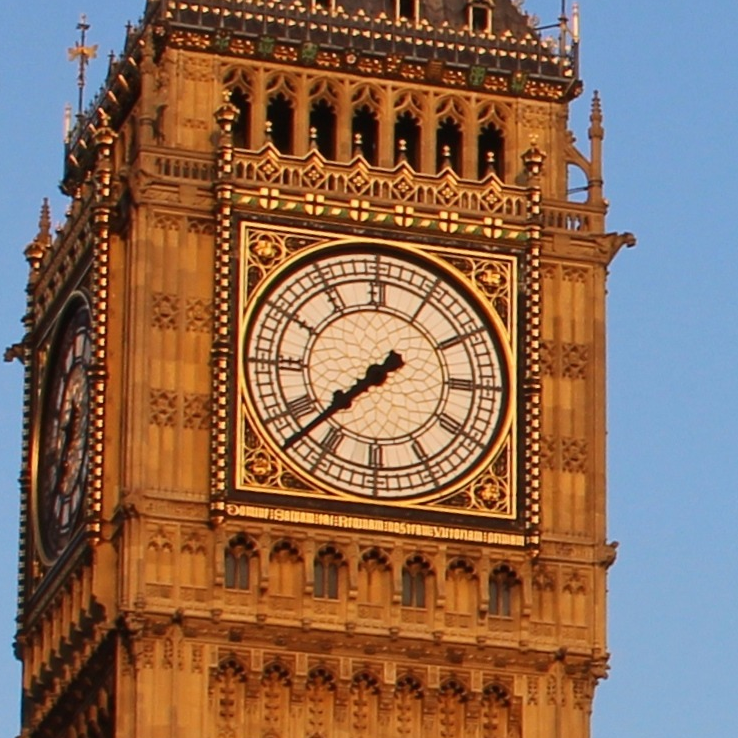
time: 7:37
